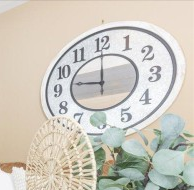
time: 9:00
